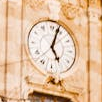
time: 5:03
